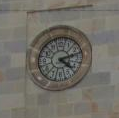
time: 4:12
